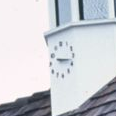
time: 3:17
